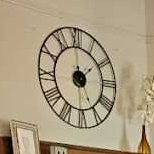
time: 1:59
